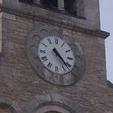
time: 4:23
